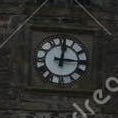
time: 12:15
